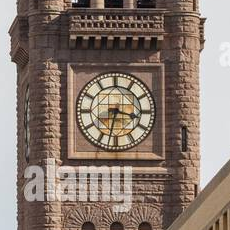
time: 3:32
